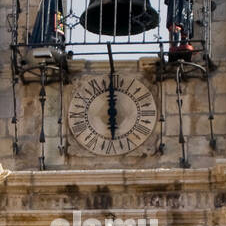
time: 5:59
